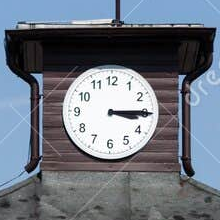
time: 3:14
